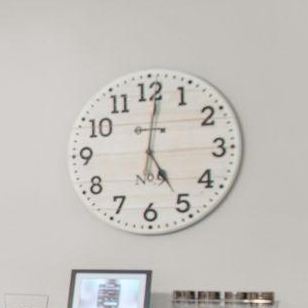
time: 5:01
